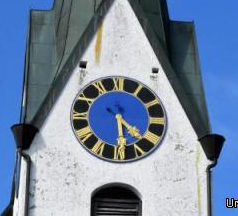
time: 4:28
